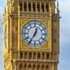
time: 12:35
